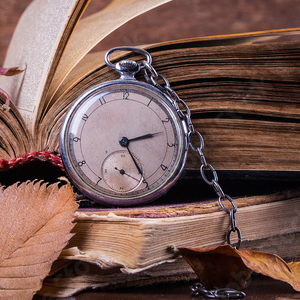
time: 2:24
